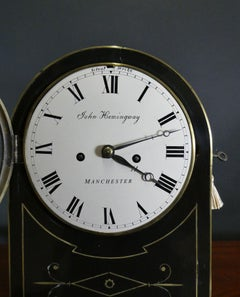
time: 2:20
